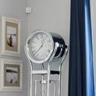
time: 12:37
